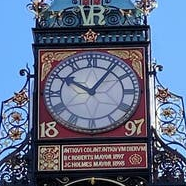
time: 10:06
